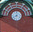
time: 8:01
